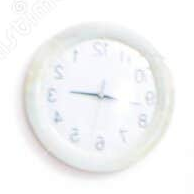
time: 9:17
